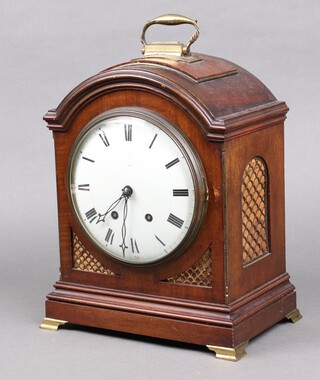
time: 7:32
